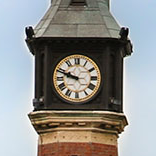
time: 9:48
